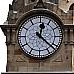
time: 12:21
